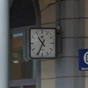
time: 10:34
